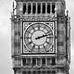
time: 2:12
